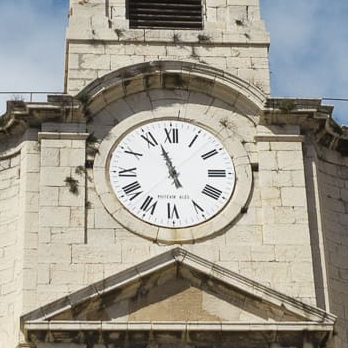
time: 4:56
